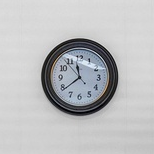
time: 11:38
